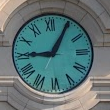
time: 9:05
